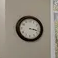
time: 3:17
